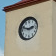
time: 2:48
